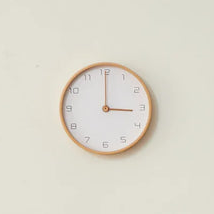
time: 3:00
